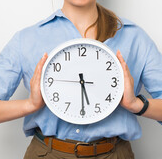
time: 5:29
